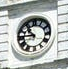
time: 10:45
